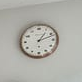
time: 1:11
